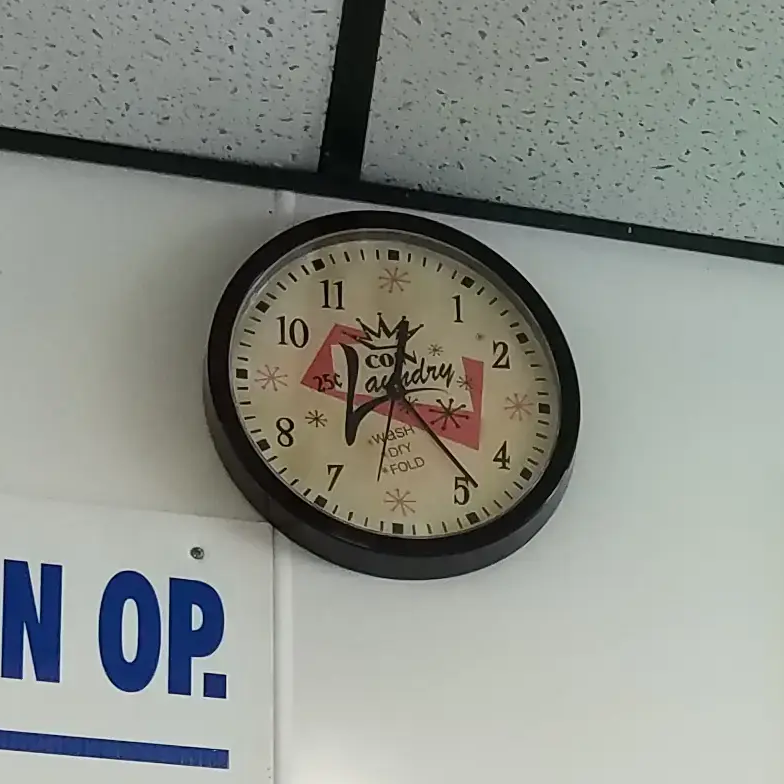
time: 12:23
